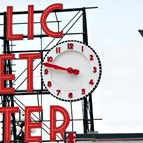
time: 9:47
